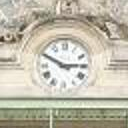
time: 2:49
